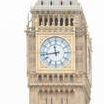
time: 11:43
